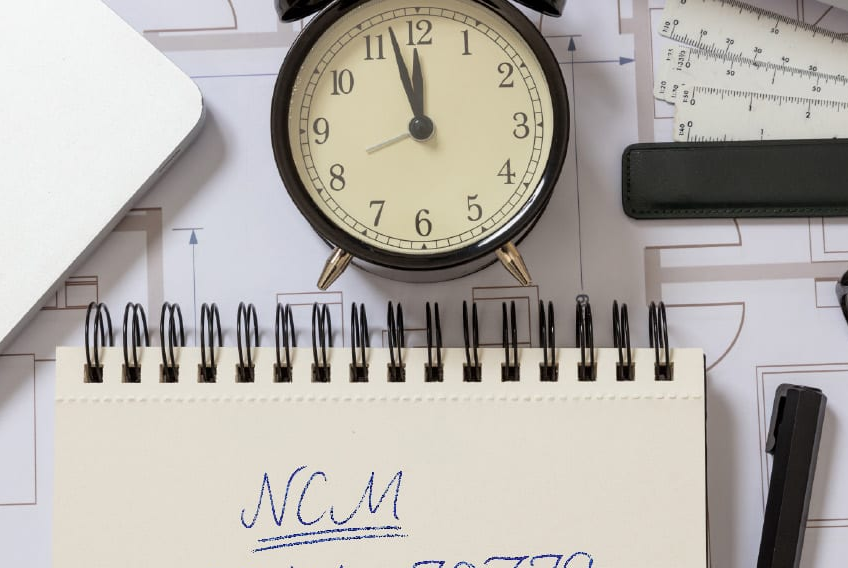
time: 11:57
